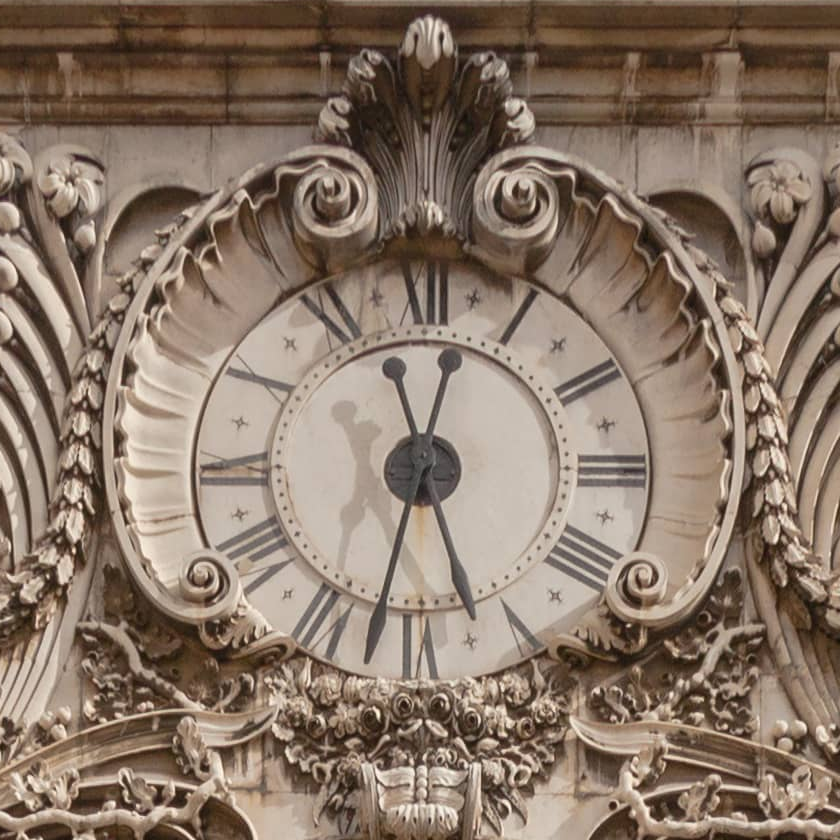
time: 12:32
